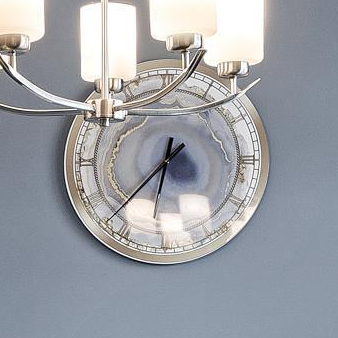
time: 6:37
